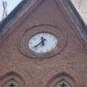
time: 11:37
